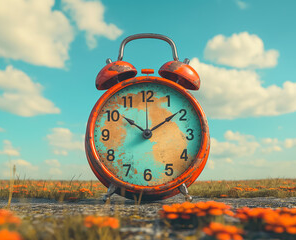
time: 10:09
